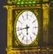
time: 5:43
